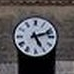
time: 5:12
